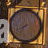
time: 7:40
